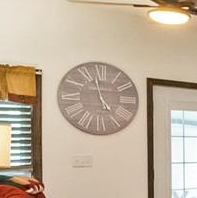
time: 4:57
